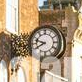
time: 9:40
